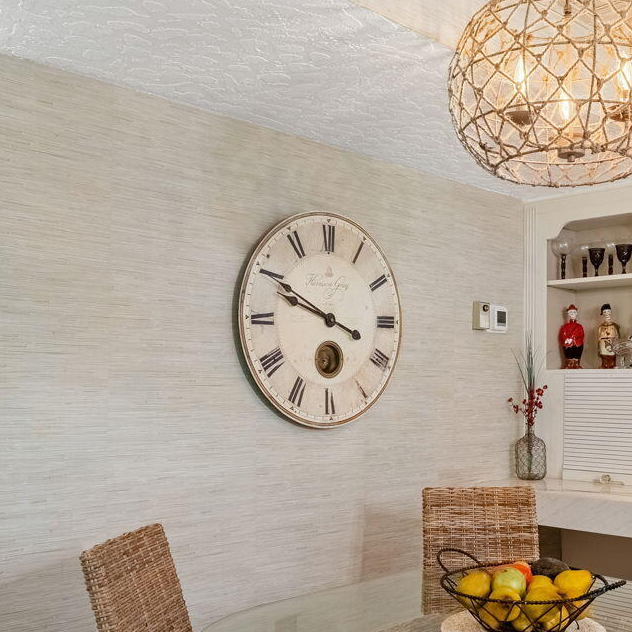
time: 3:49
